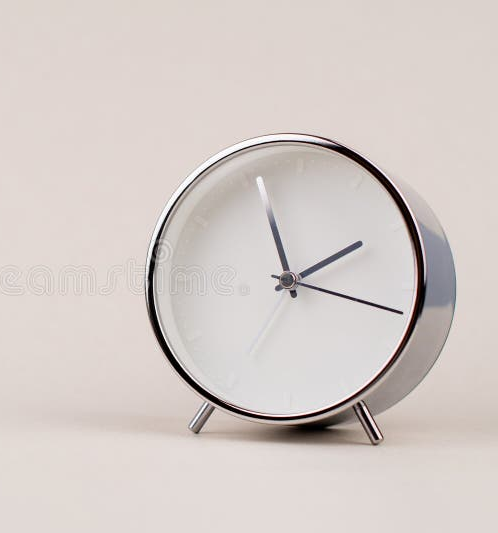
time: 1:56
